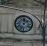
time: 12:07
